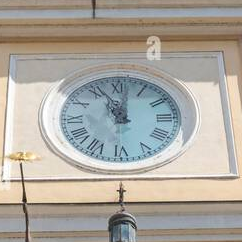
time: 11:01
